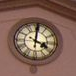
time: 4:00
